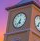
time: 6:36
